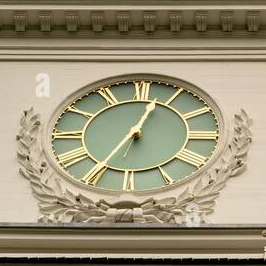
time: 12:35
